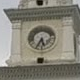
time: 5:34
